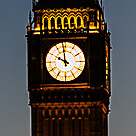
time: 9:58
